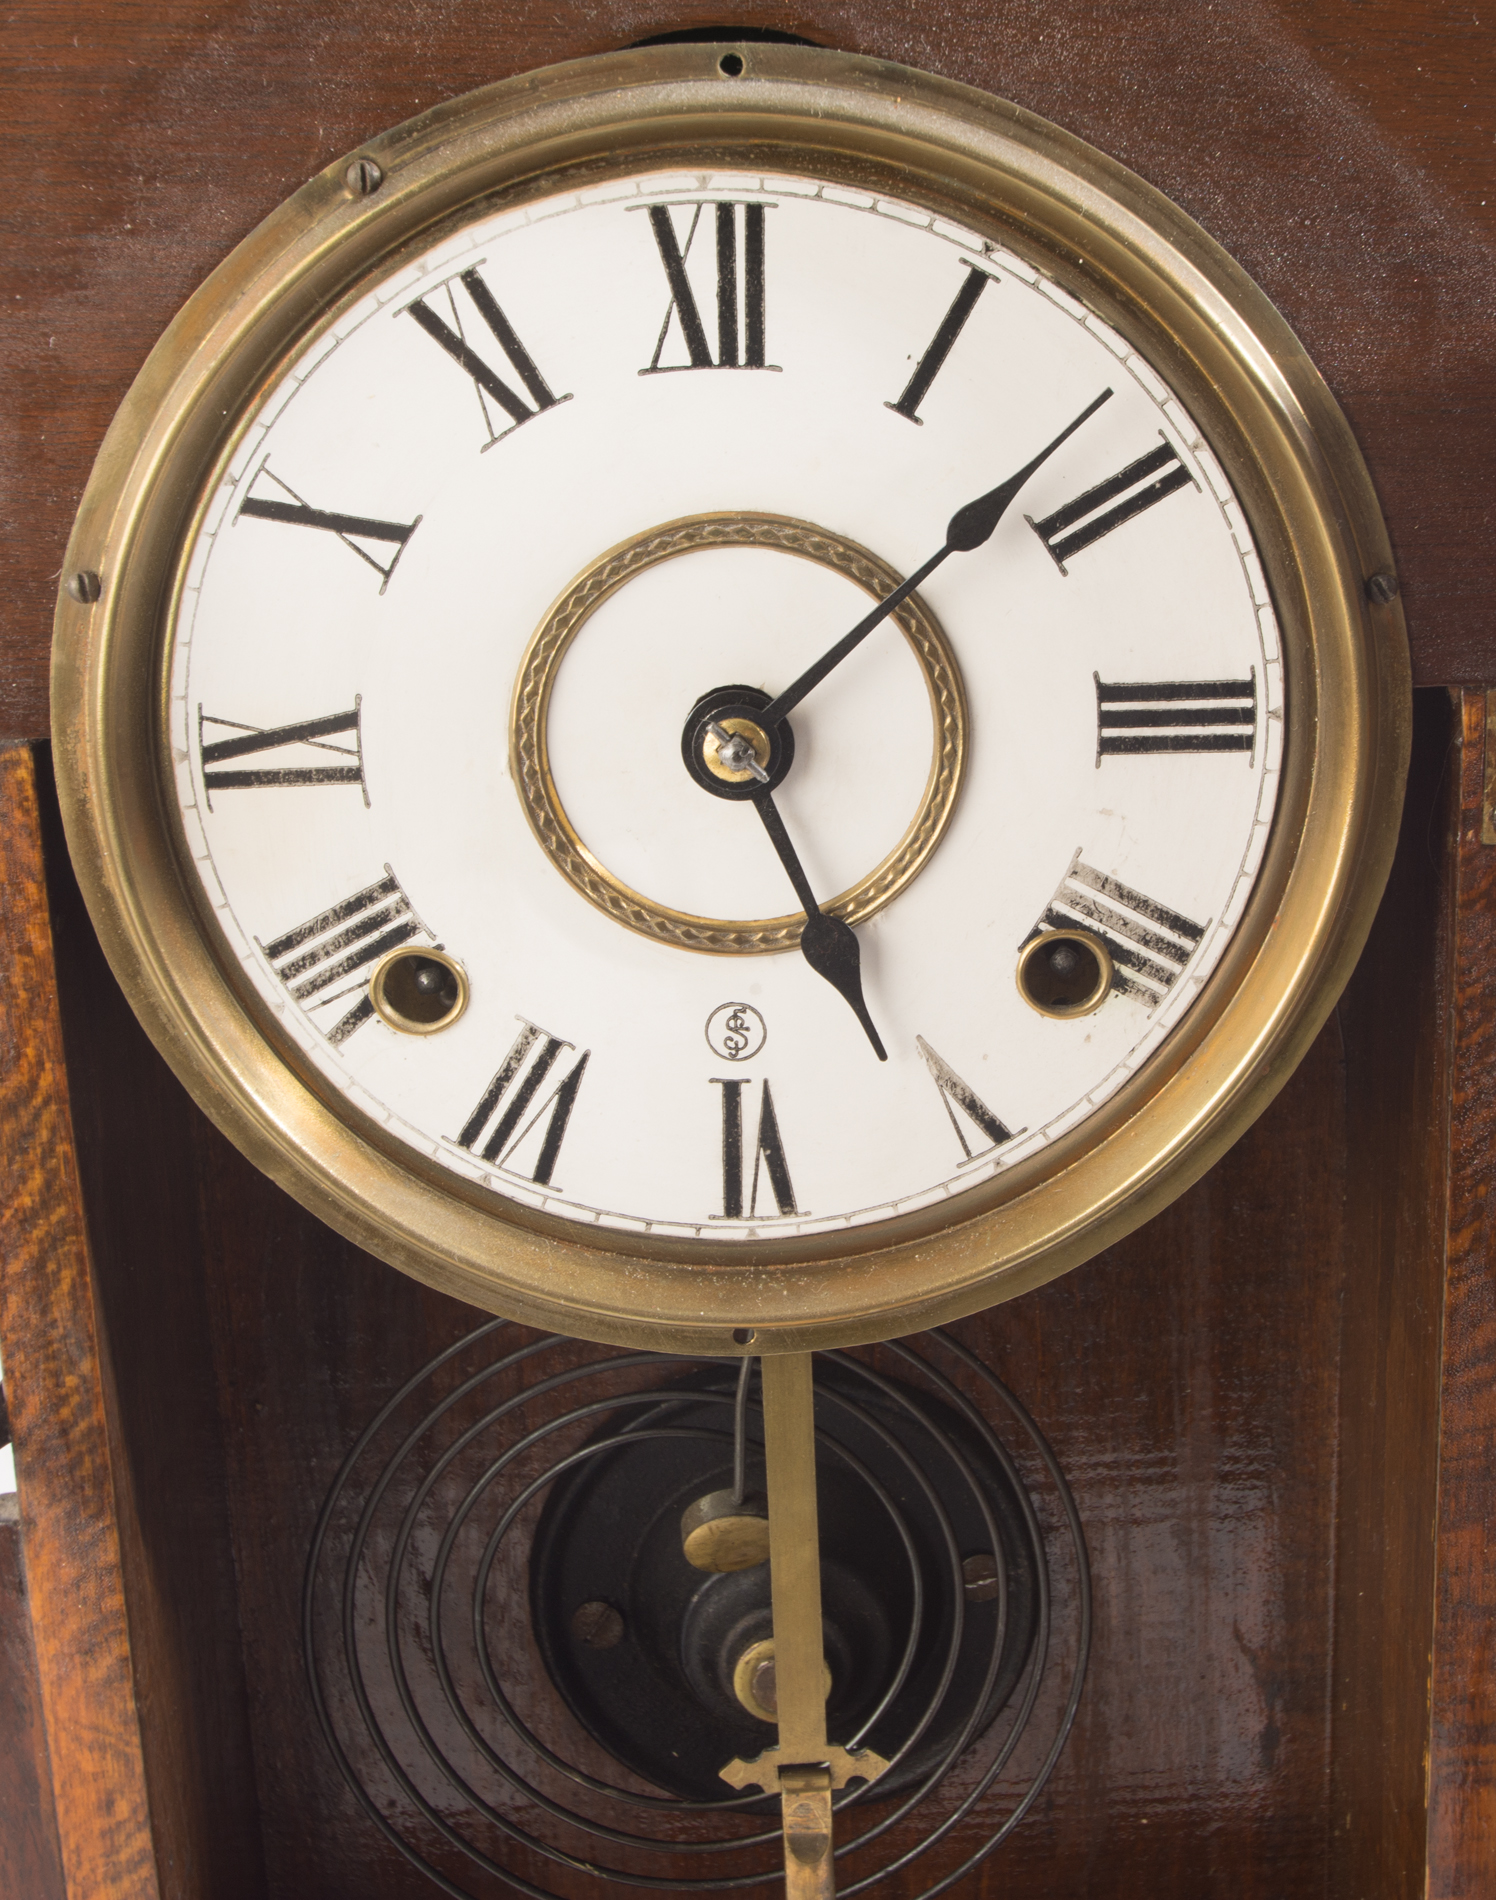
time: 5:08
